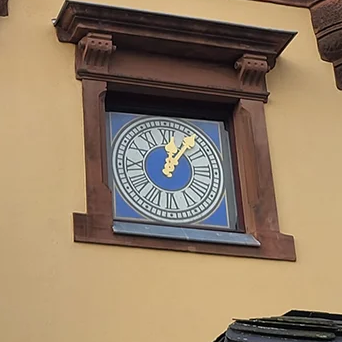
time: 12:06
